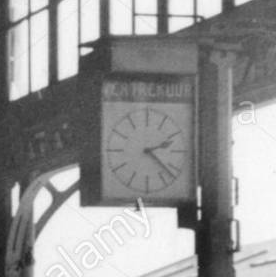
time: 2:21
